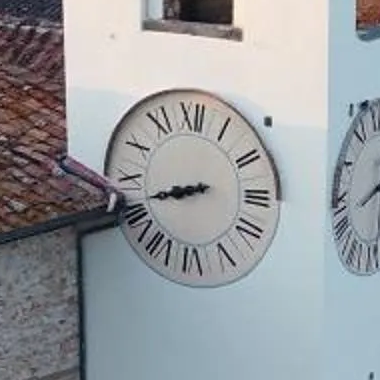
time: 8:41
